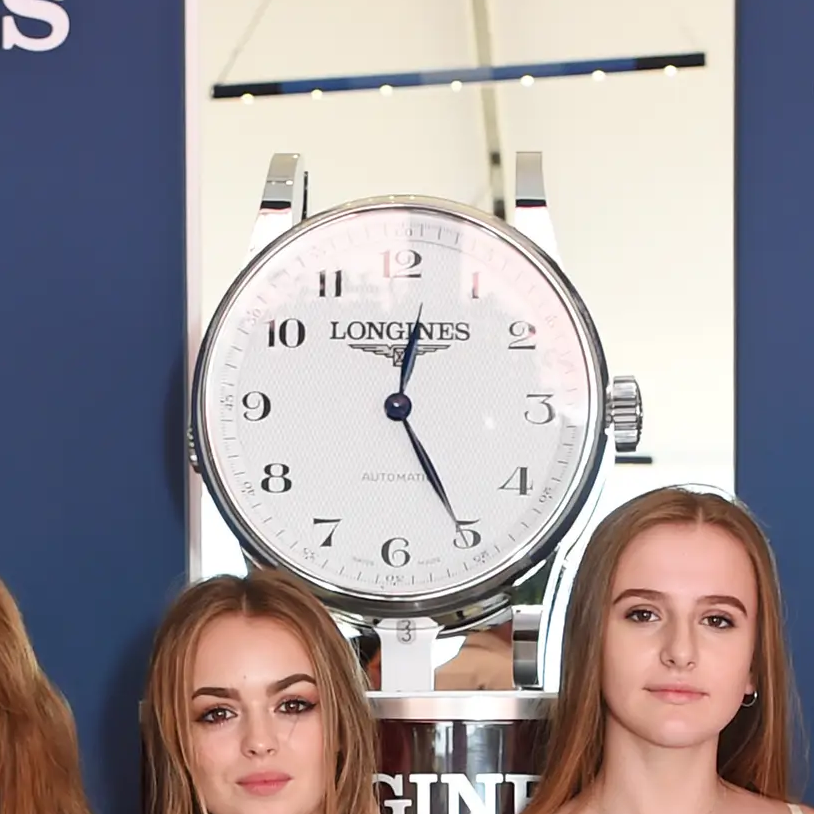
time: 12:25
